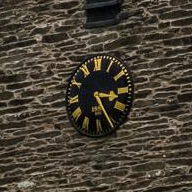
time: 3:25
